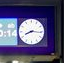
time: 8:16
